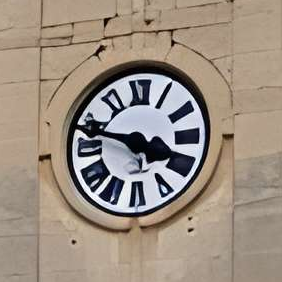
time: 3:47
